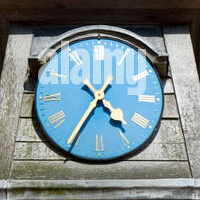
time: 4:35
